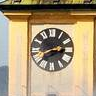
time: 2:40
